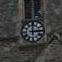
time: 3:00
